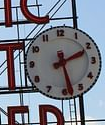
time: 2:28
